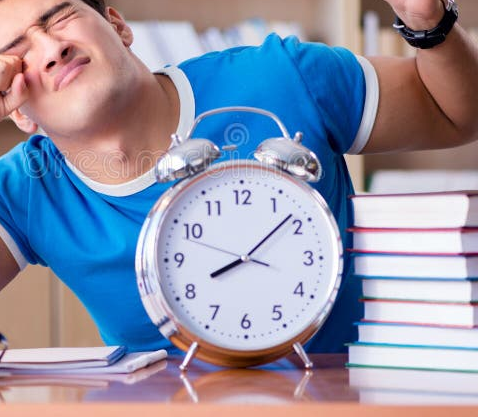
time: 8:08
